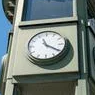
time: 11:20
